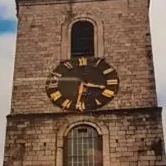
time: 3:32
